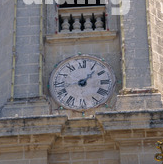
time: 1:42
